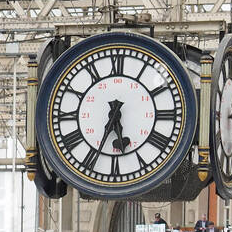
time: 5:33
